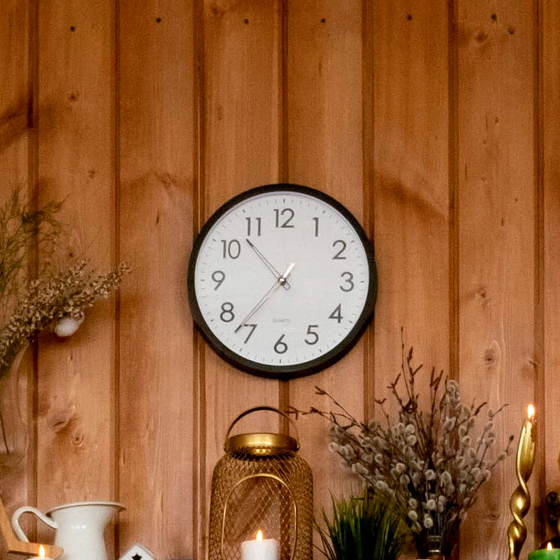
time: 10:36
